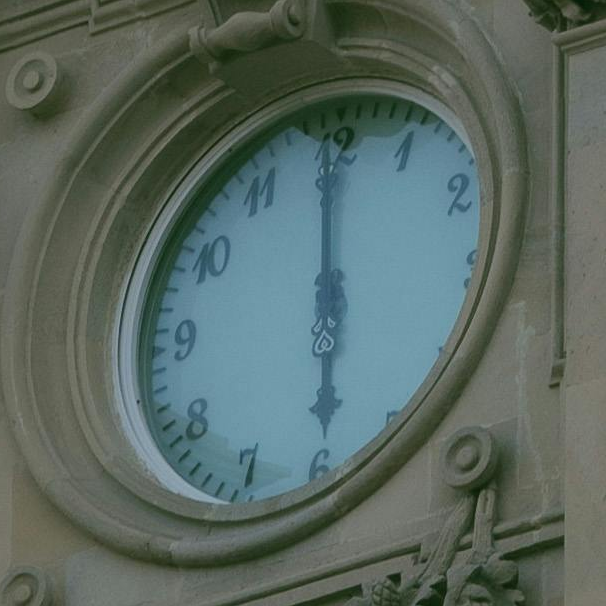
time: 5:59
